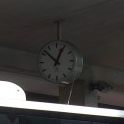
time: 12:52
